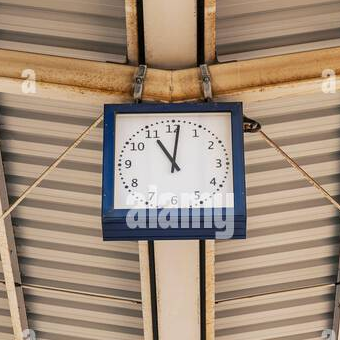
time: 11:01
